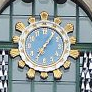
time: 7:06
